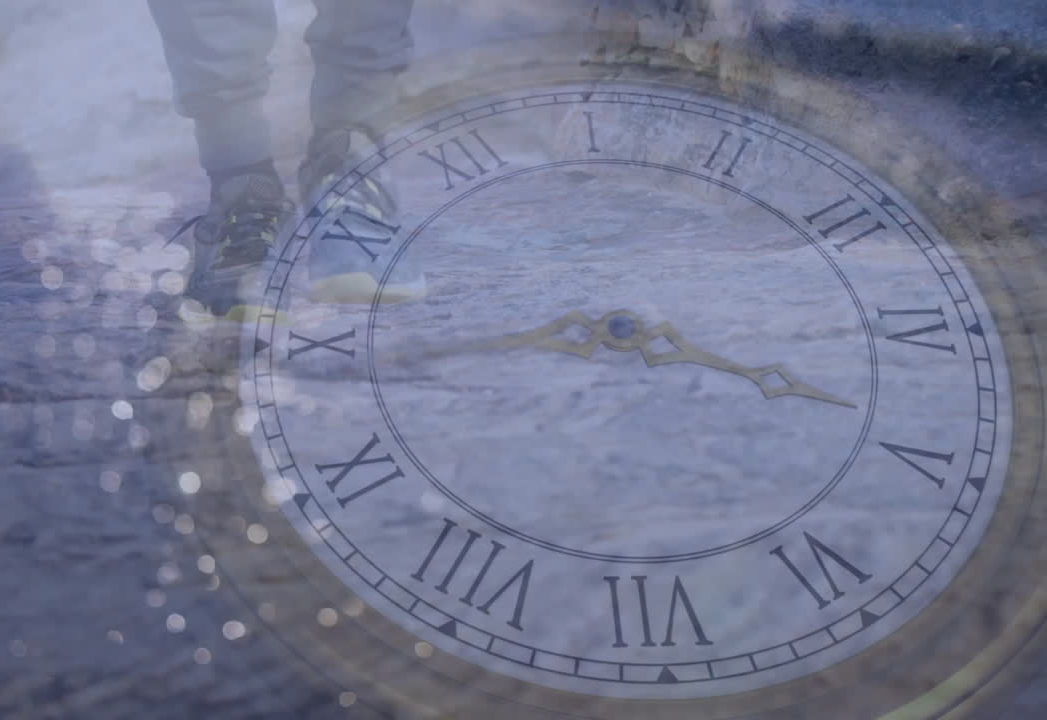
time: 3:43
